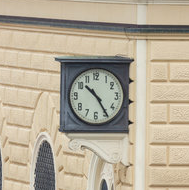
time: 10:24
